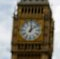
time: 12:07
